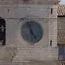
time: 4:57
